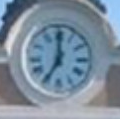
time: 7:00
